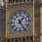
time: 1:24
